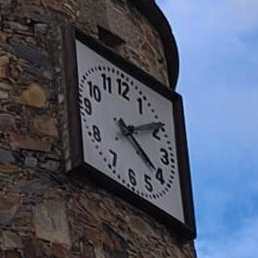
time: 4:09
